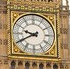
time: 9:40
